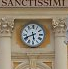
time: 5:41
